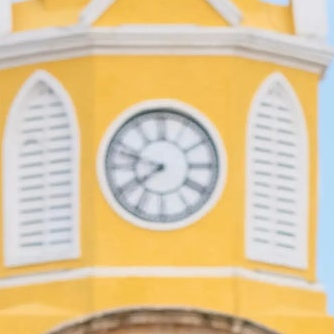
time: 7:47
